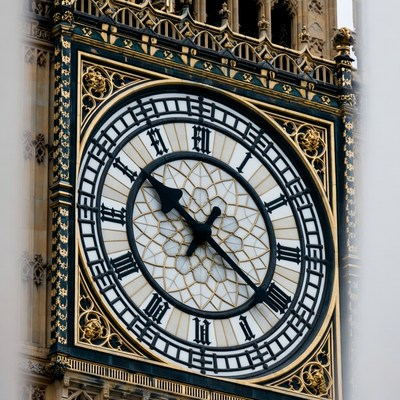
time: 10:20
